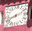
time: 8:11
